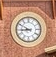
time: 8:49
